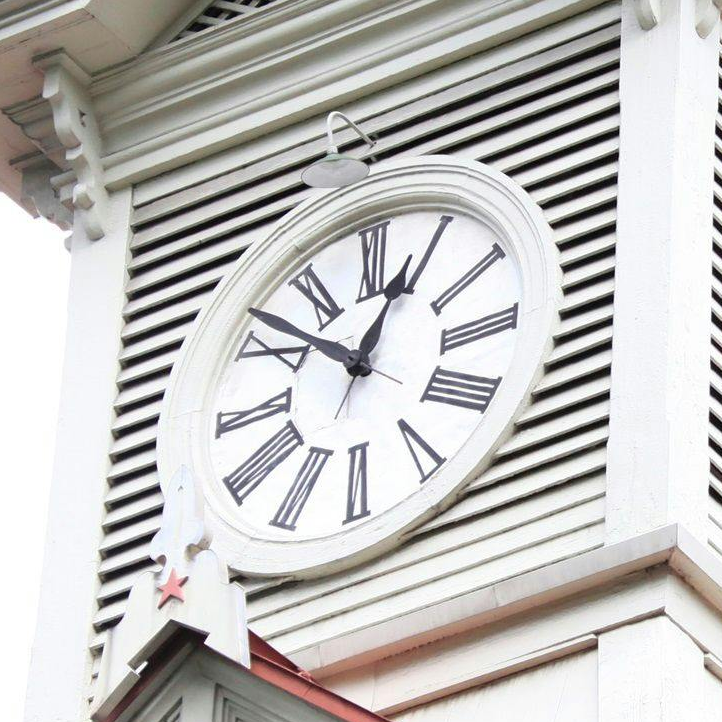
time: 12:52
